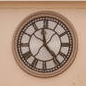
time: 11:23
